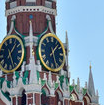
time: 1:26
